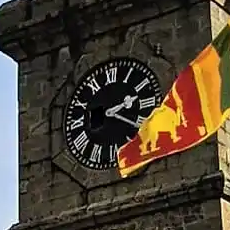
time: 2:20
